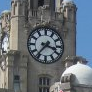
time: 3:36
